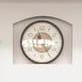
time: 3:24
